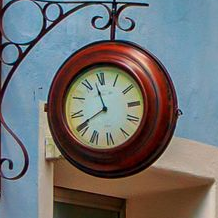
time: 11:40
